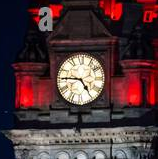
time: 4:45
